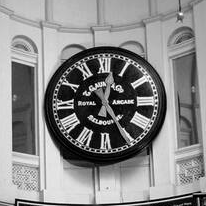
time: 12:24
